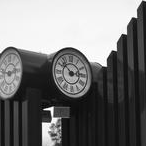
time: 2:52
